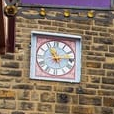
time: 11:13
